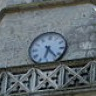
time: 6:23
